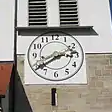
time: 2:39
